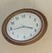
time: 3:43
